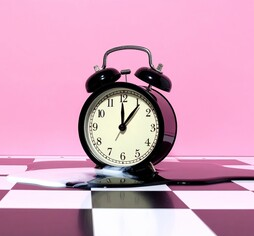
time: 12:06
